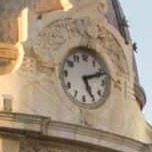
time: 5:11
